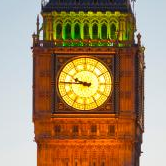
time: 9:45
